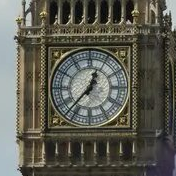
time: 12:37
